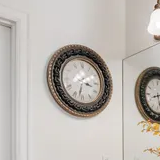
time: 3:32
